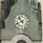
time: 10:41
